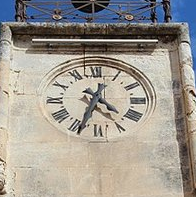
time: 4:33
